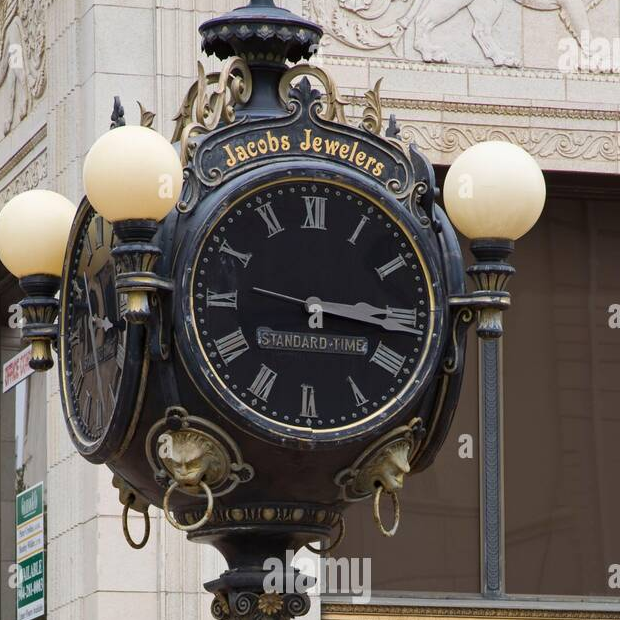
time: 3:16
